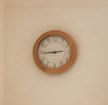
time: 2:44
